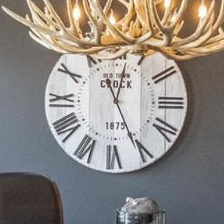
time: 12:25
